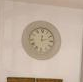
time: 12:11
